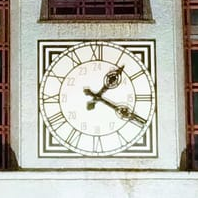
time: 1:19
